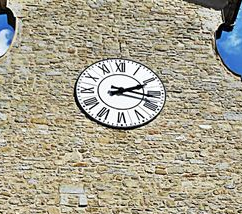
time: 2:17
